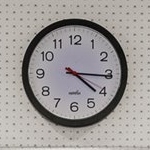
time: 4:15
